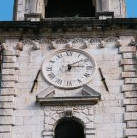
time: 3:09
